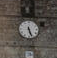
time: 5:26
